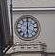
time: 6:00
